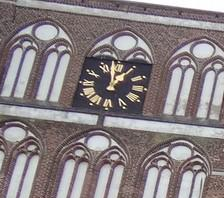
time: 12:58
